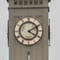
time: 4:10
